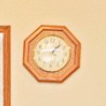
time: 1:43
